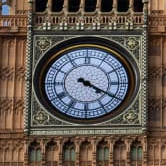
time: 4:19
